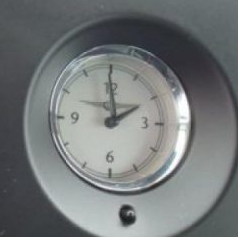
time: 1:59
